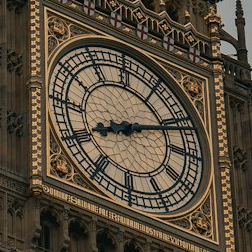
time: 8:11
